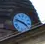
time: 3:47
